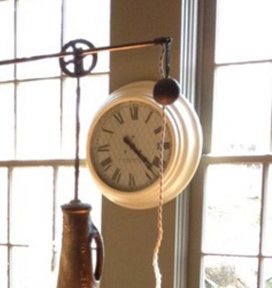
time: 4:22
